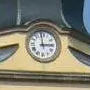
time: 2:59
